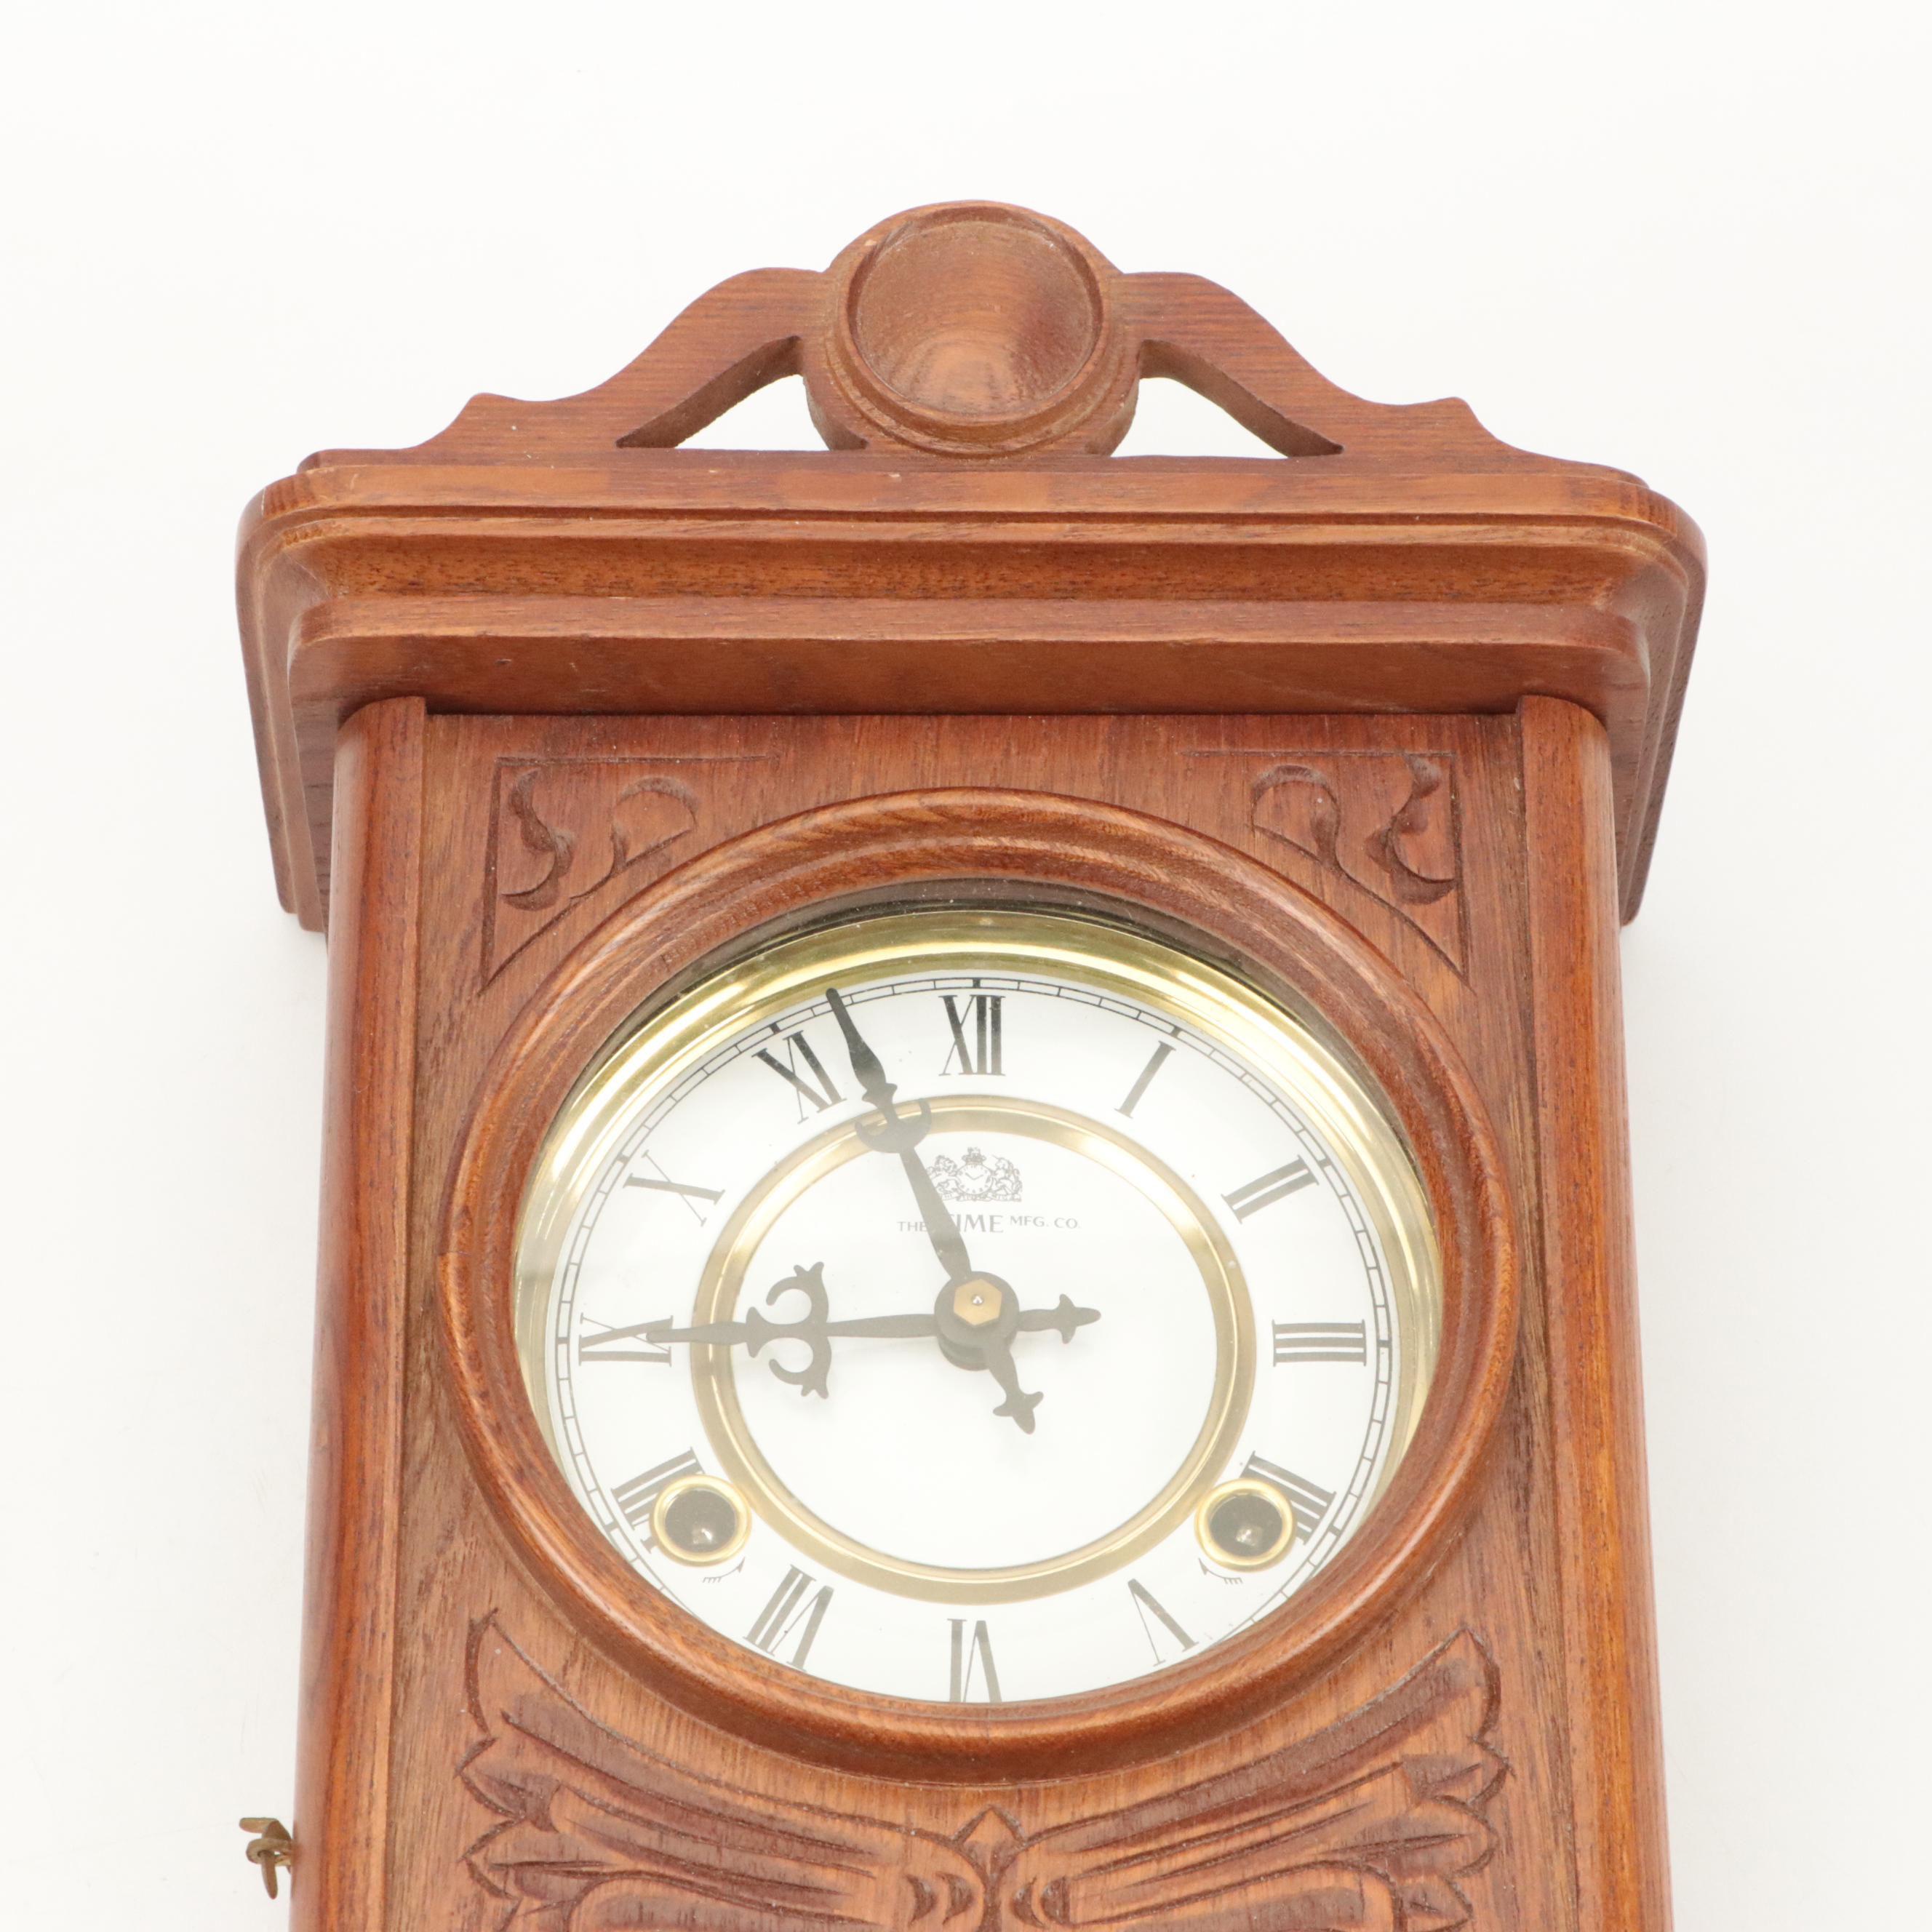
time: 8:56
